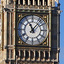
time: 11:07
